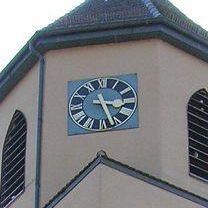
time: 3:27
